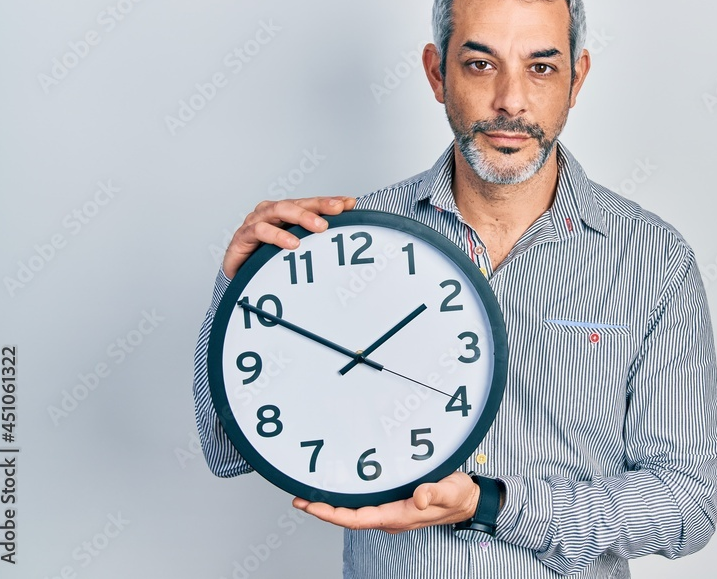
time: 1:50
